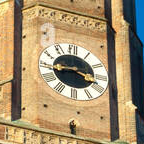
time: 3:43
